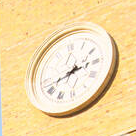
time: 2:41
